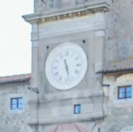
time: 5:27
